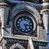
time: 5:15
